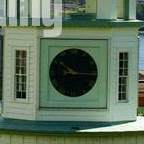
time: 10:14
